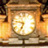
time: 6:47
